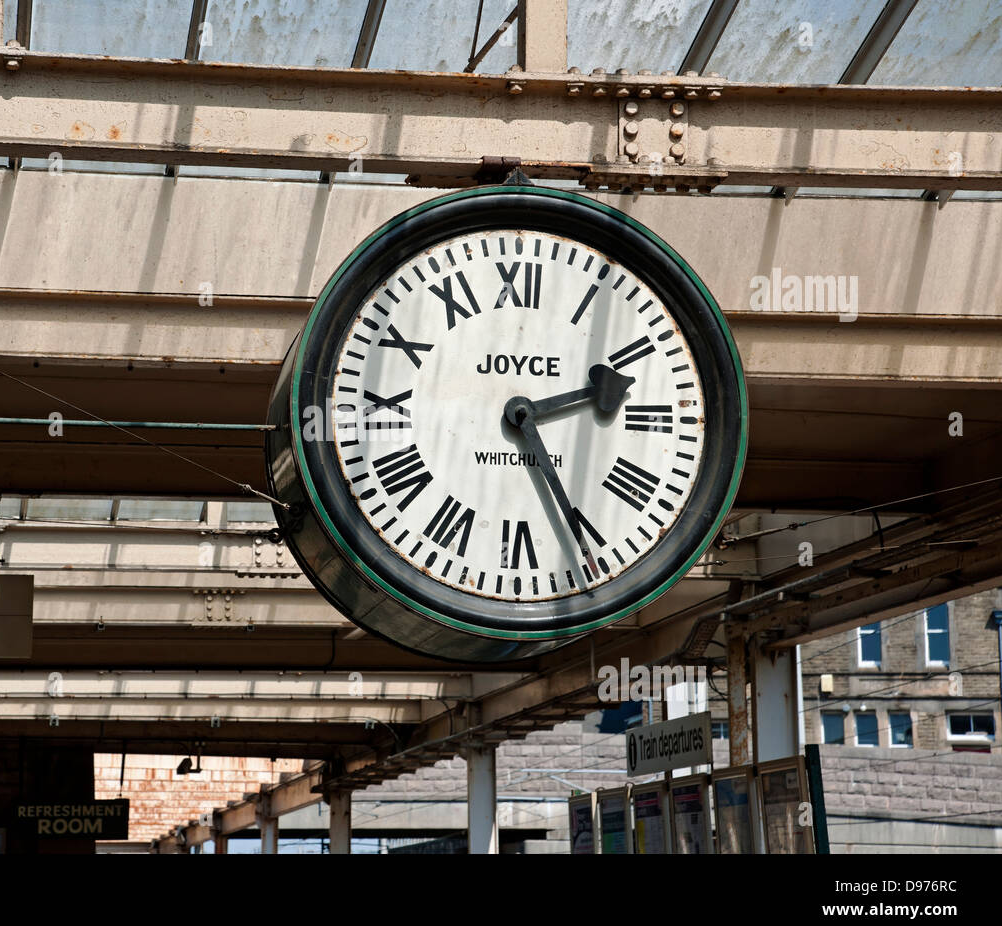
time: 2:24
